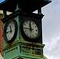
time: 11:44
